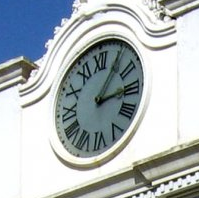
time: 3:05
